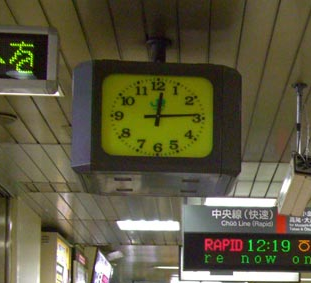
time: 12:14
